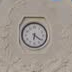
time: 6:21
